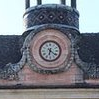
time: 6:21
